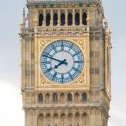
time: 7:48
